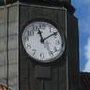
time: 11:09
